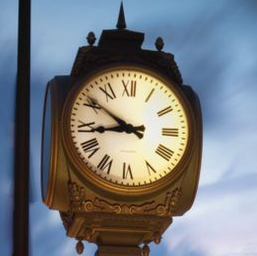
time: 8:50
